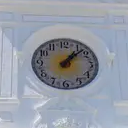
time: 1:07
